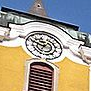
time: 9:50
